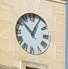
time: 12:52
